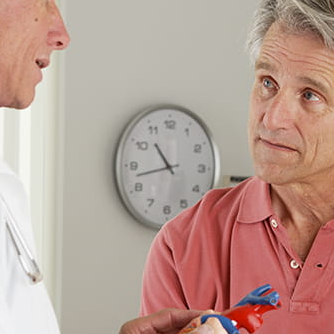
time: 10:42
